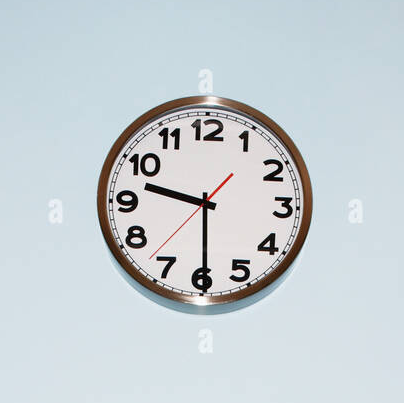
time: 9:29
